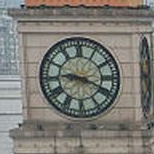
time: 9:18
